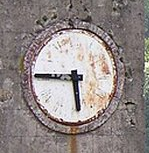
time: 5:45
